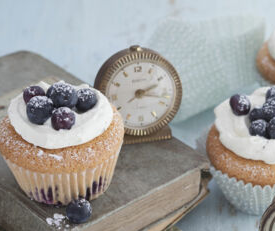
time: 2:18
